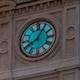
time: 8:04
